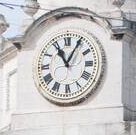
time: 11:04
